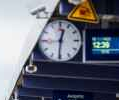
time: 12:30
